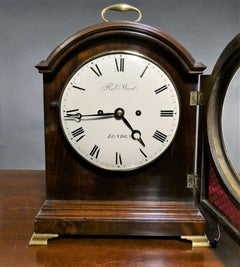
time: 4:43
